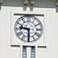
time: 9:30
